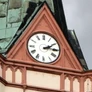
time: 2:15
